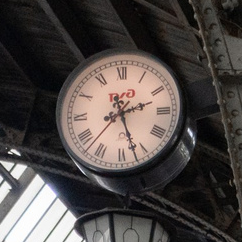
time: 2:26
